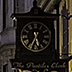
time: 5:34
